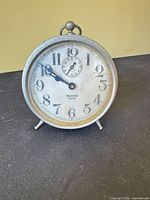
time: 9:50
